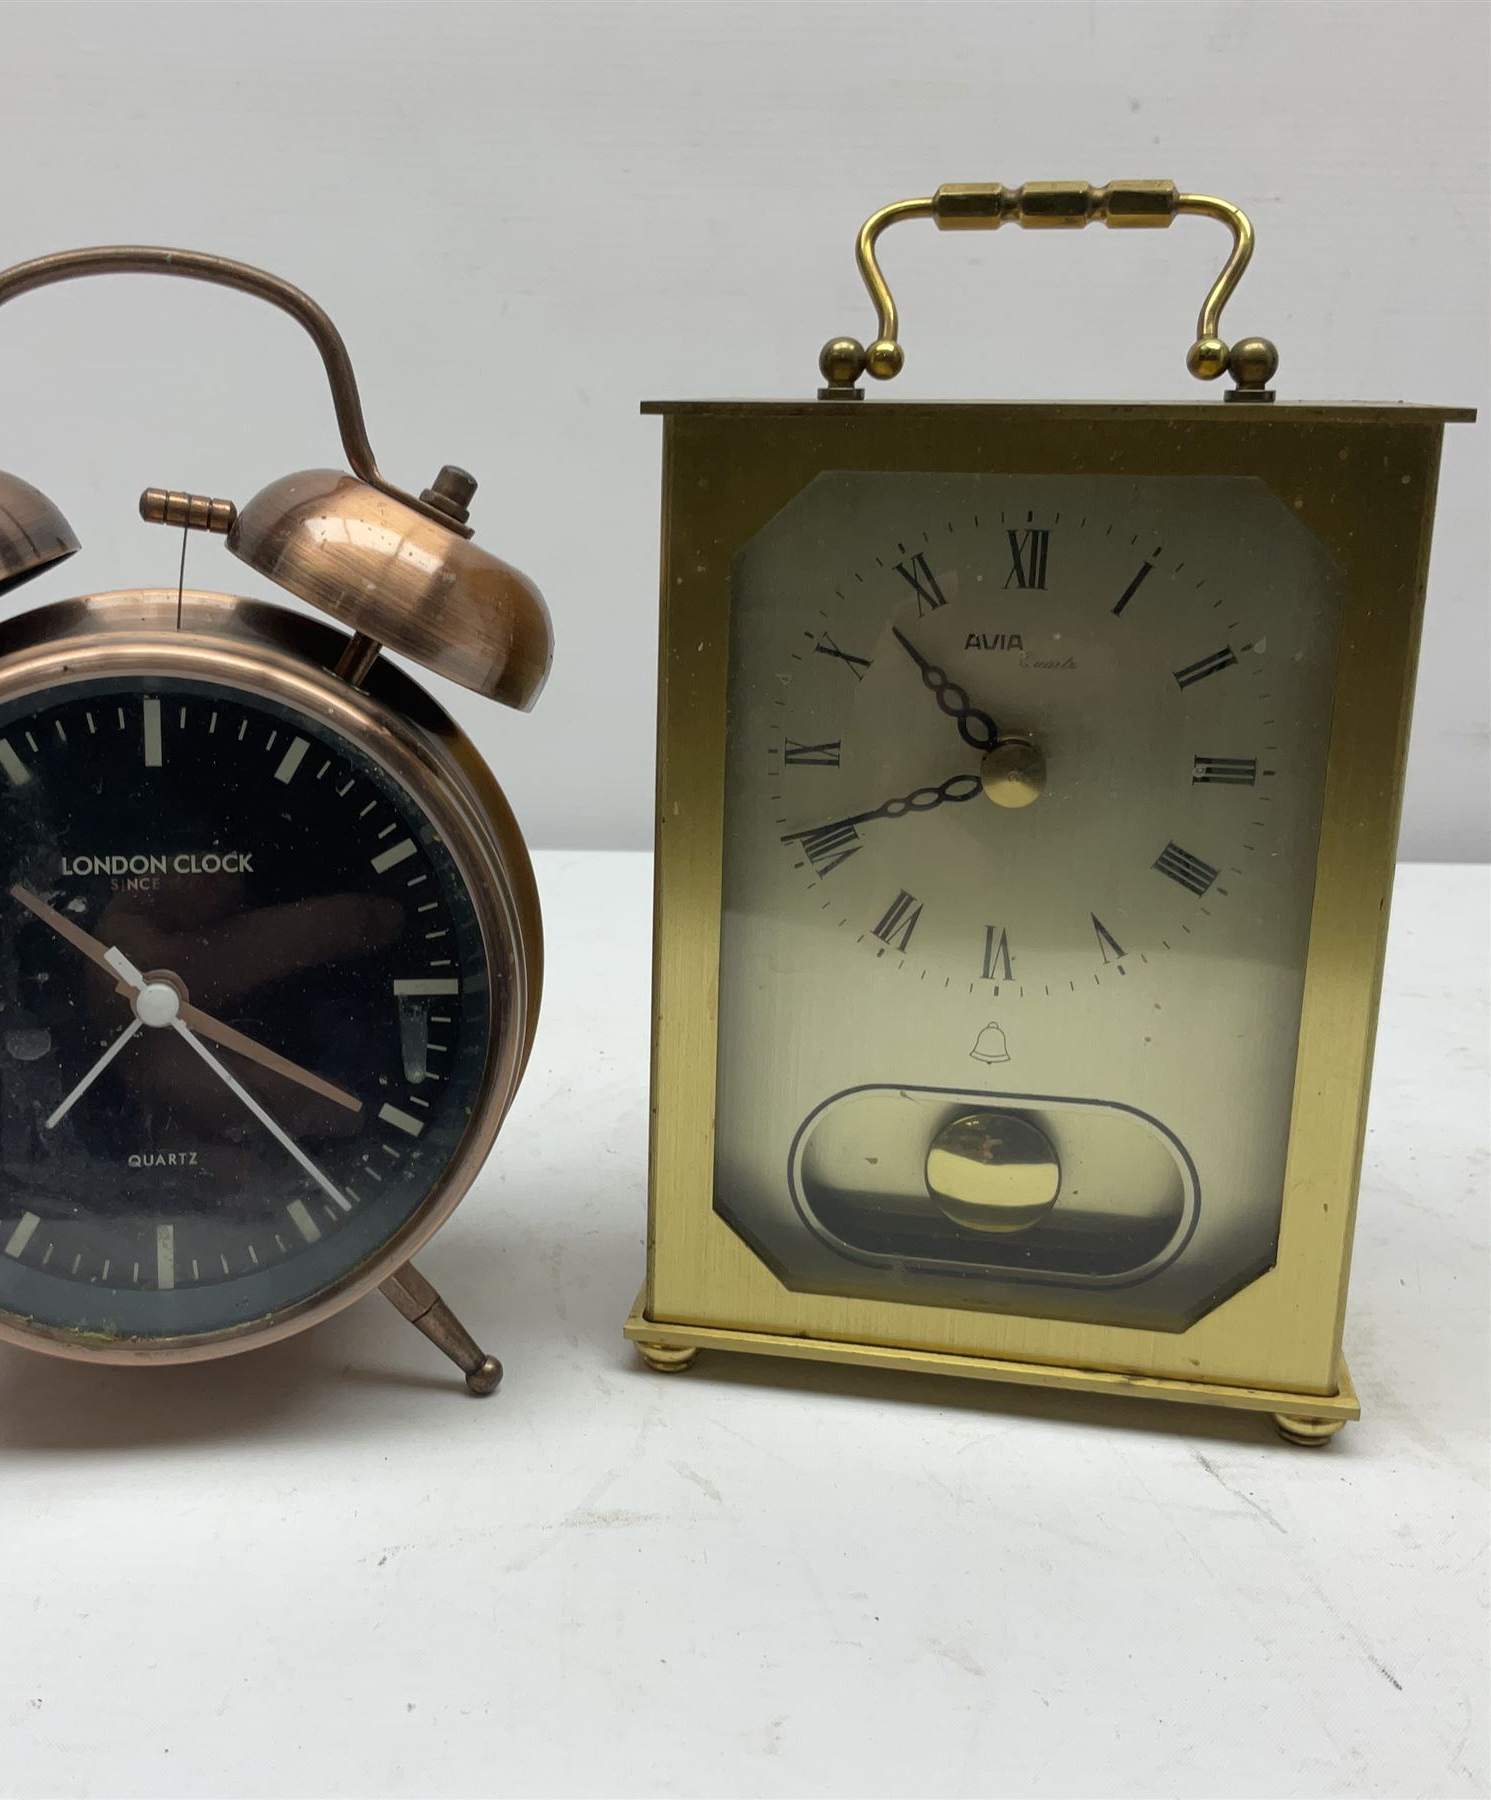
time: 10:41
